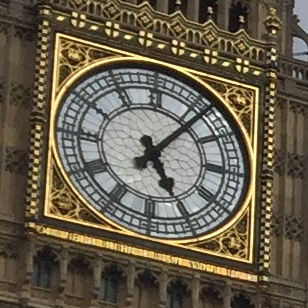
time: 5:06
